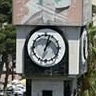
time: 1:02
